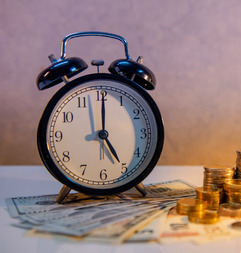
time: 5:00
